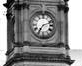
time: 7:11
